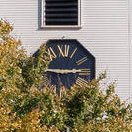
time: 2:46
